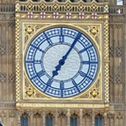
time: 7:05
